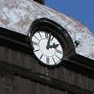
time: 2:02
